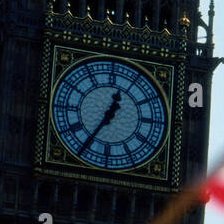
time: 12:35
